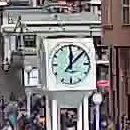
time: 12:07
